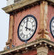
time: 4:00
